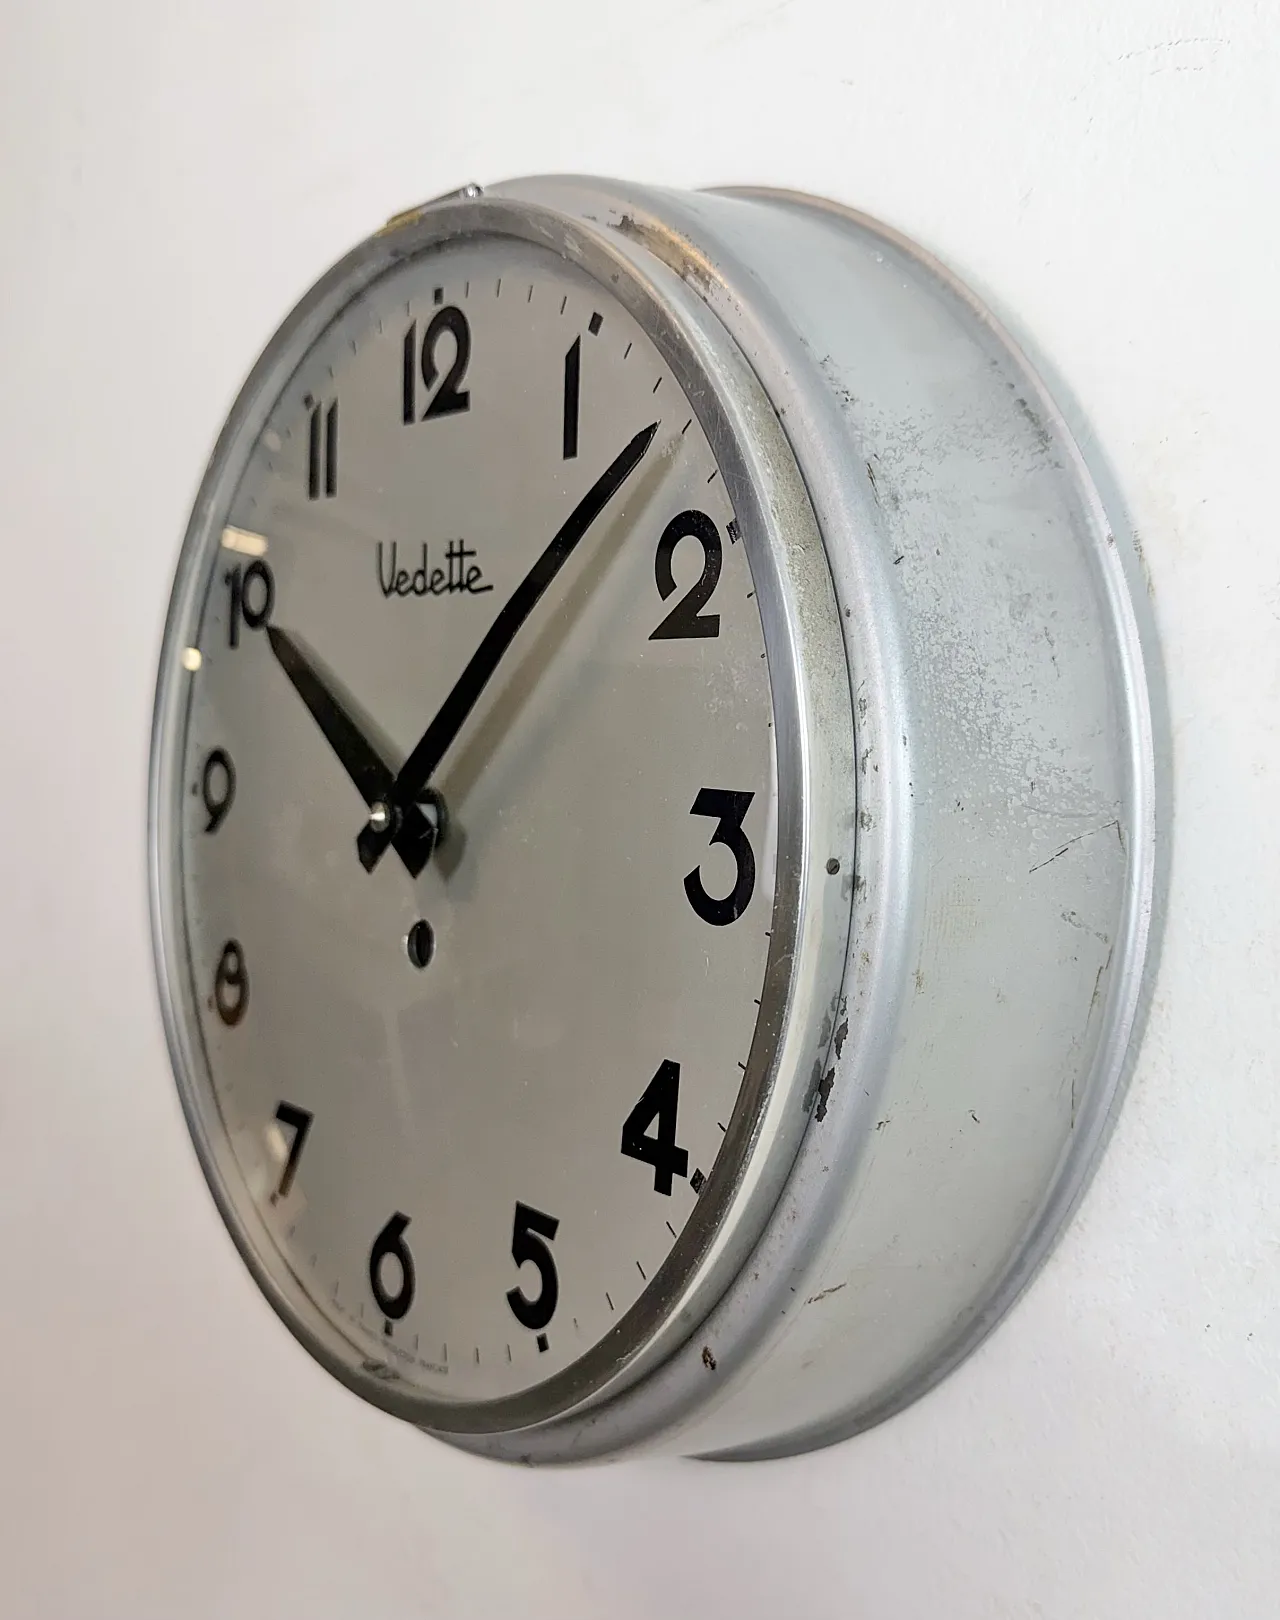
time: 10:07
